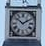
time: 1:51
